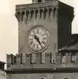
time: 10:24
